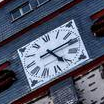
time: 5:14
